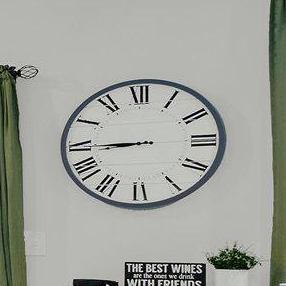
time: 8:45
